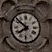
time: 7:51
